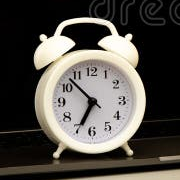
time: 6:52
